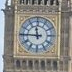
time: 11:45
